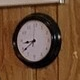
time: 8:38
